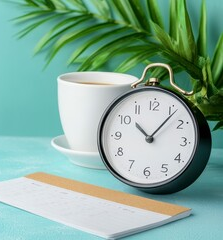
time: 10:06
